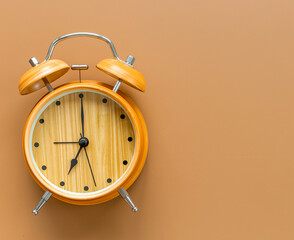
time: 7:00
